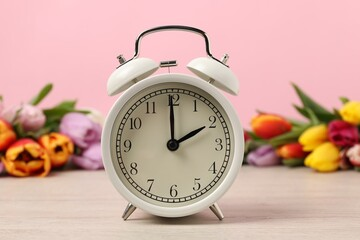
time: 2:00
